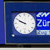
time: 9:50
